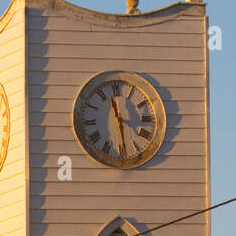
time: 3:29
